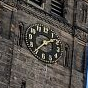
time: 1:36
